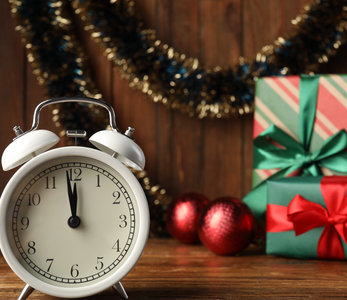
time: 11:58
